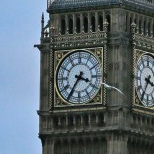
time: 3:35
